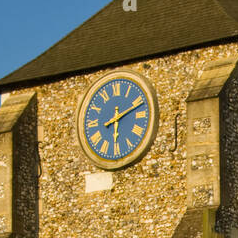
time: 6:11
